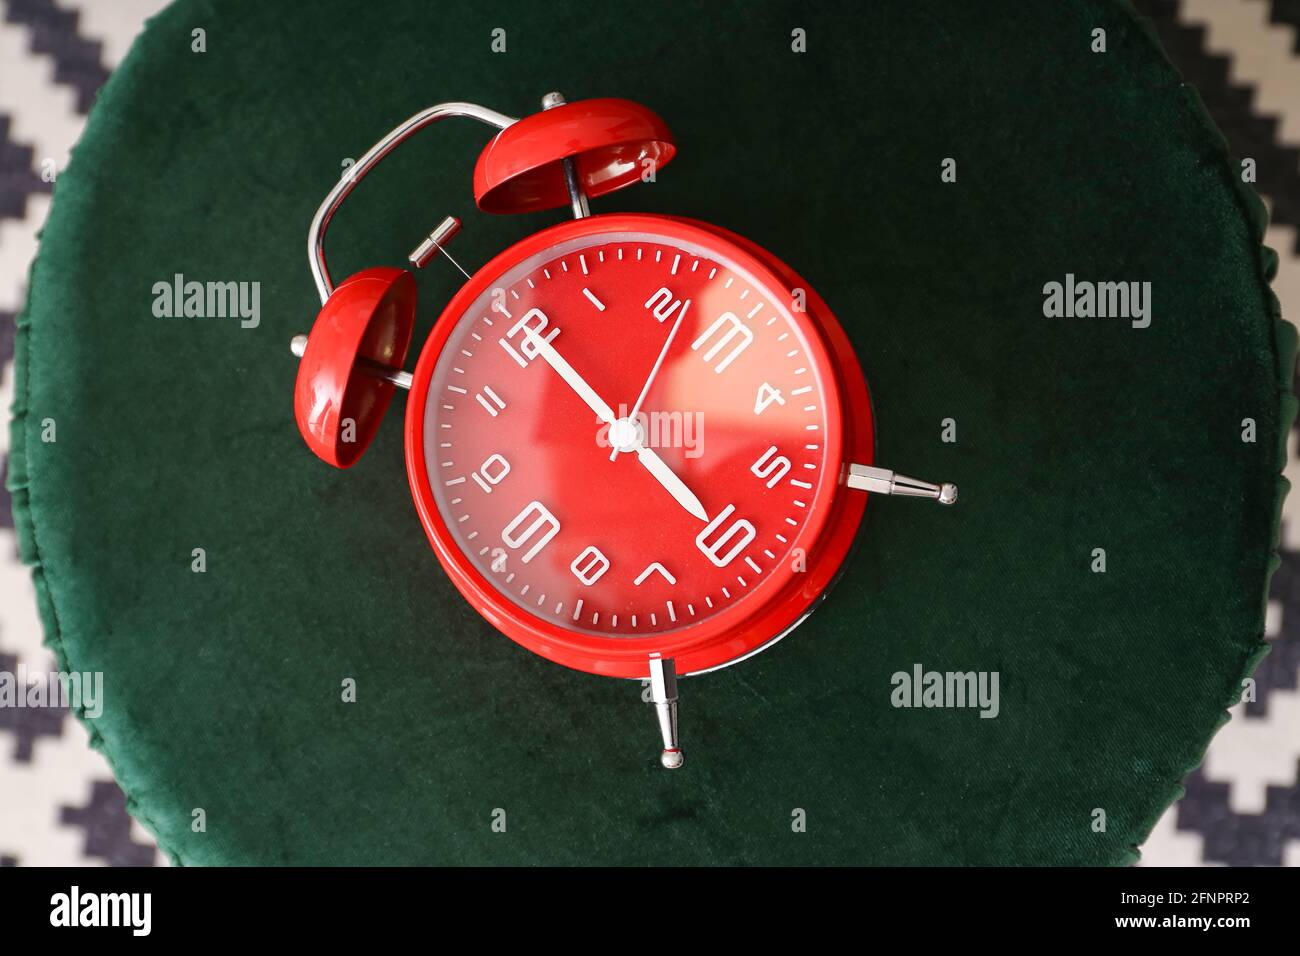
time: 3:50
